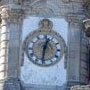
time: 12:31
